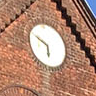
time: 5:49
